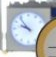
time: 9:53
